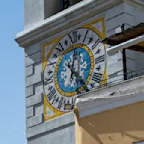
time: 12:23
